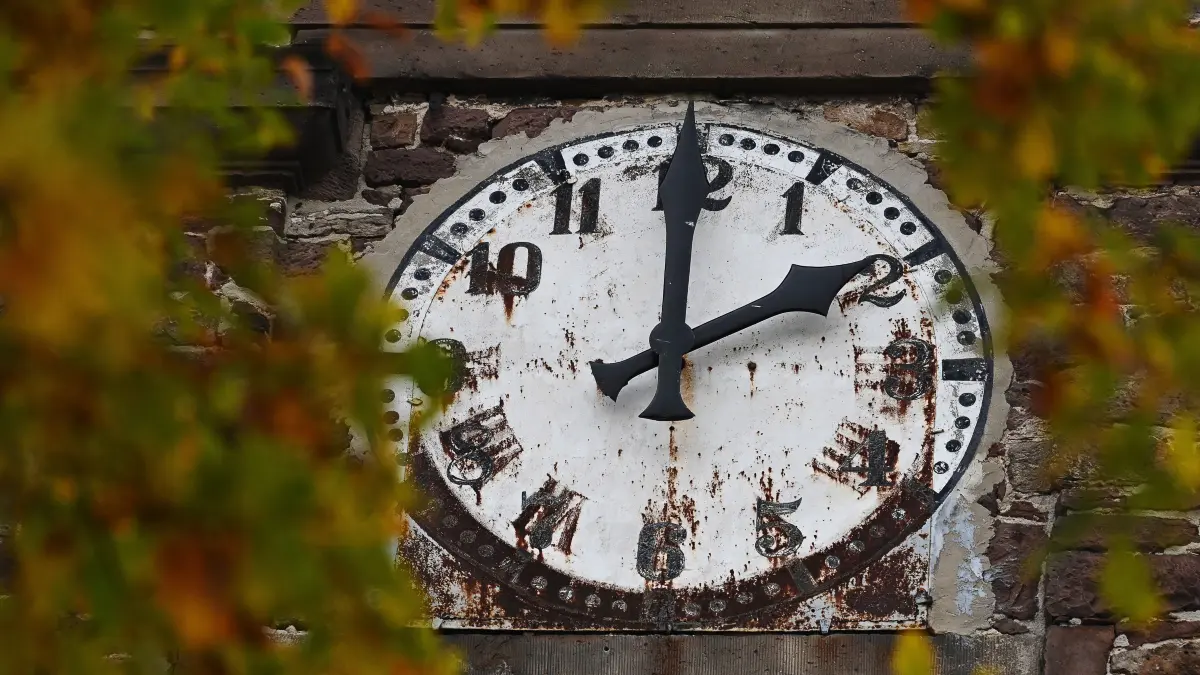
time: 2:00
